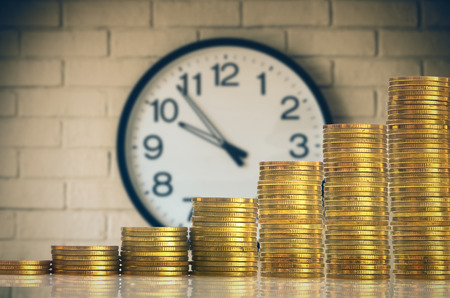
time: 9:53
